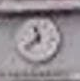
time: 11:37
